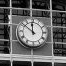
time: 11:51
